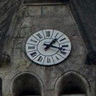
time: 1:18
